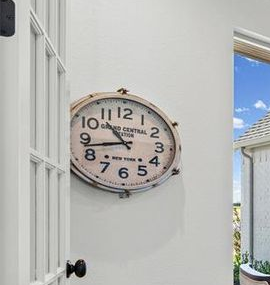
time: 10:43
